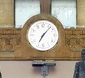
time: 7:07
